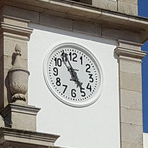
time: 4:55
